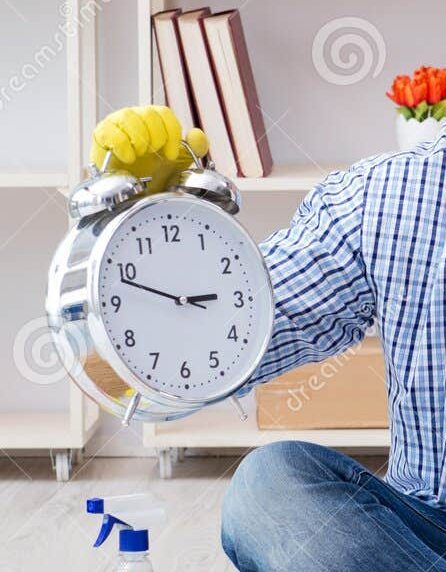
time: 2:48
